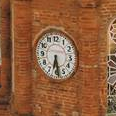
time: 6:28
